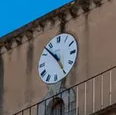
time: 4:52
